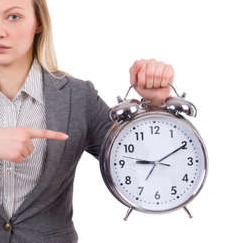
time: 9:10
